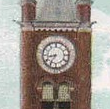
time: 8:35
